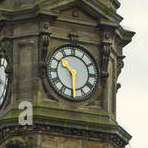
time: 10:29
